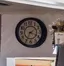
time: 3:34
